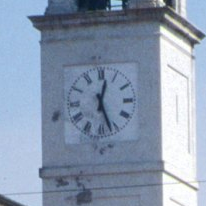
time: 12:26
